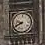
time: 9:41
